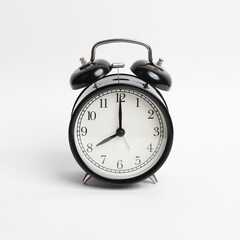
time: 8:00
